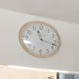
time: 11:17
